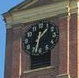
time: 1:32
